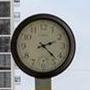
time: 2:22
